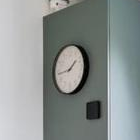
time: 1:43
